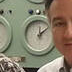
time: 12:09
